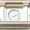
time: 2:10
